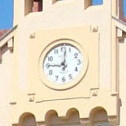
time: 9:01
